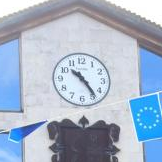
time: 10:24
